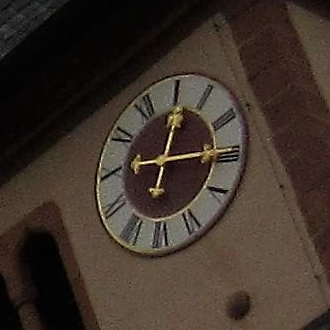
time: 12:14
